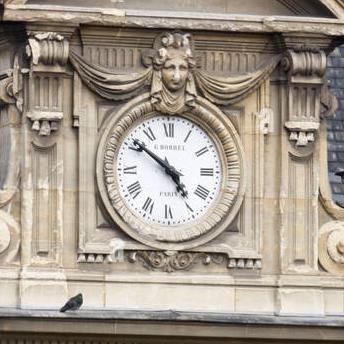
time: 4:51
